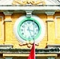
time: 3:26
